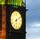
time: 6:10
